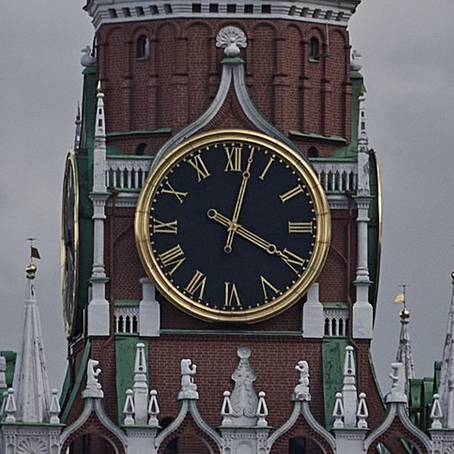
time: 4:02
